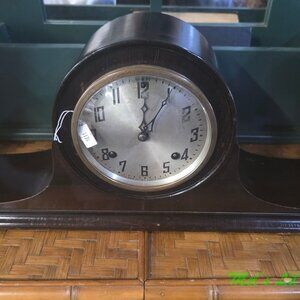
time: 1:00
